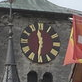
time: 11:31
